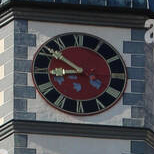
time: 8:51
